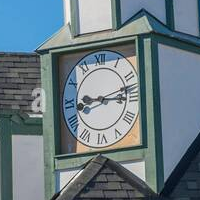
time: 9:12
